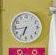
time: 6:43
